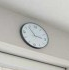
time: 2:52
